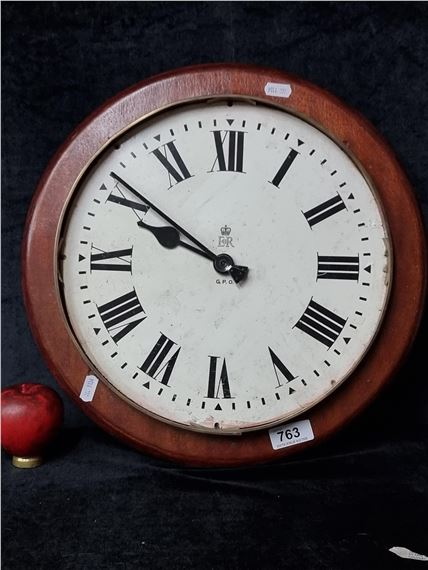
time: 9:50
